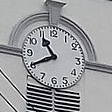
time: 10:40
